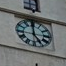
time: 4:59
